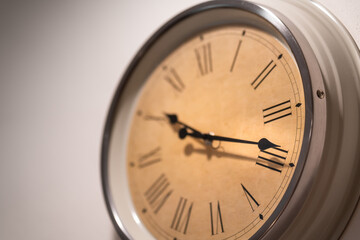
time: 10:18
